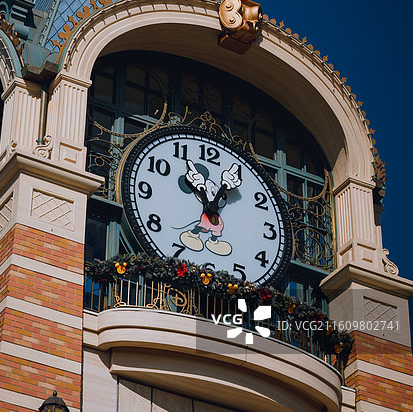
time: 11:04
